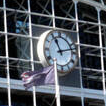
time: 11:12
